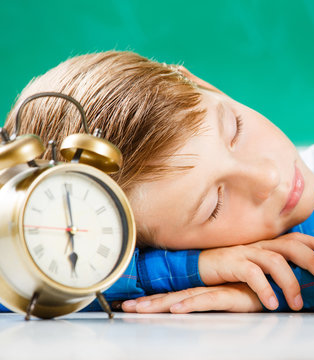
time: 5:59
